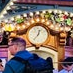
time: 12:36
